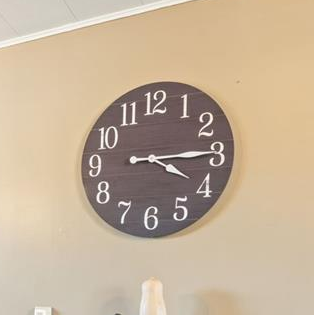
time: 4:14
